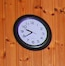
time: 9:39
